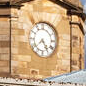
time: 7:24
